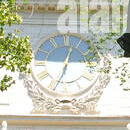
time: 12:33
